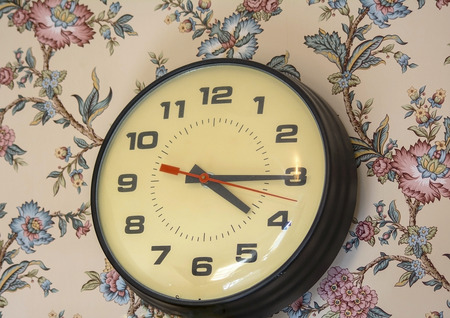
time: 4:15
